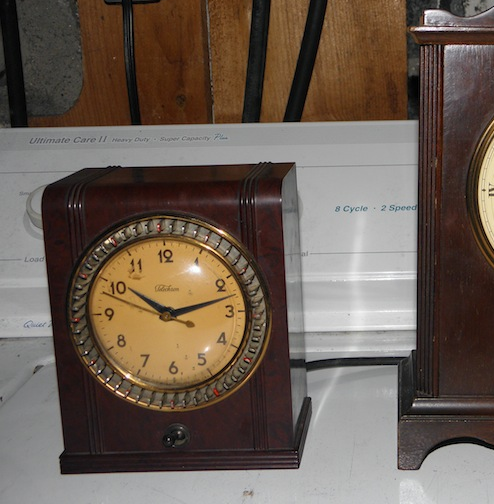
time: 10:12
